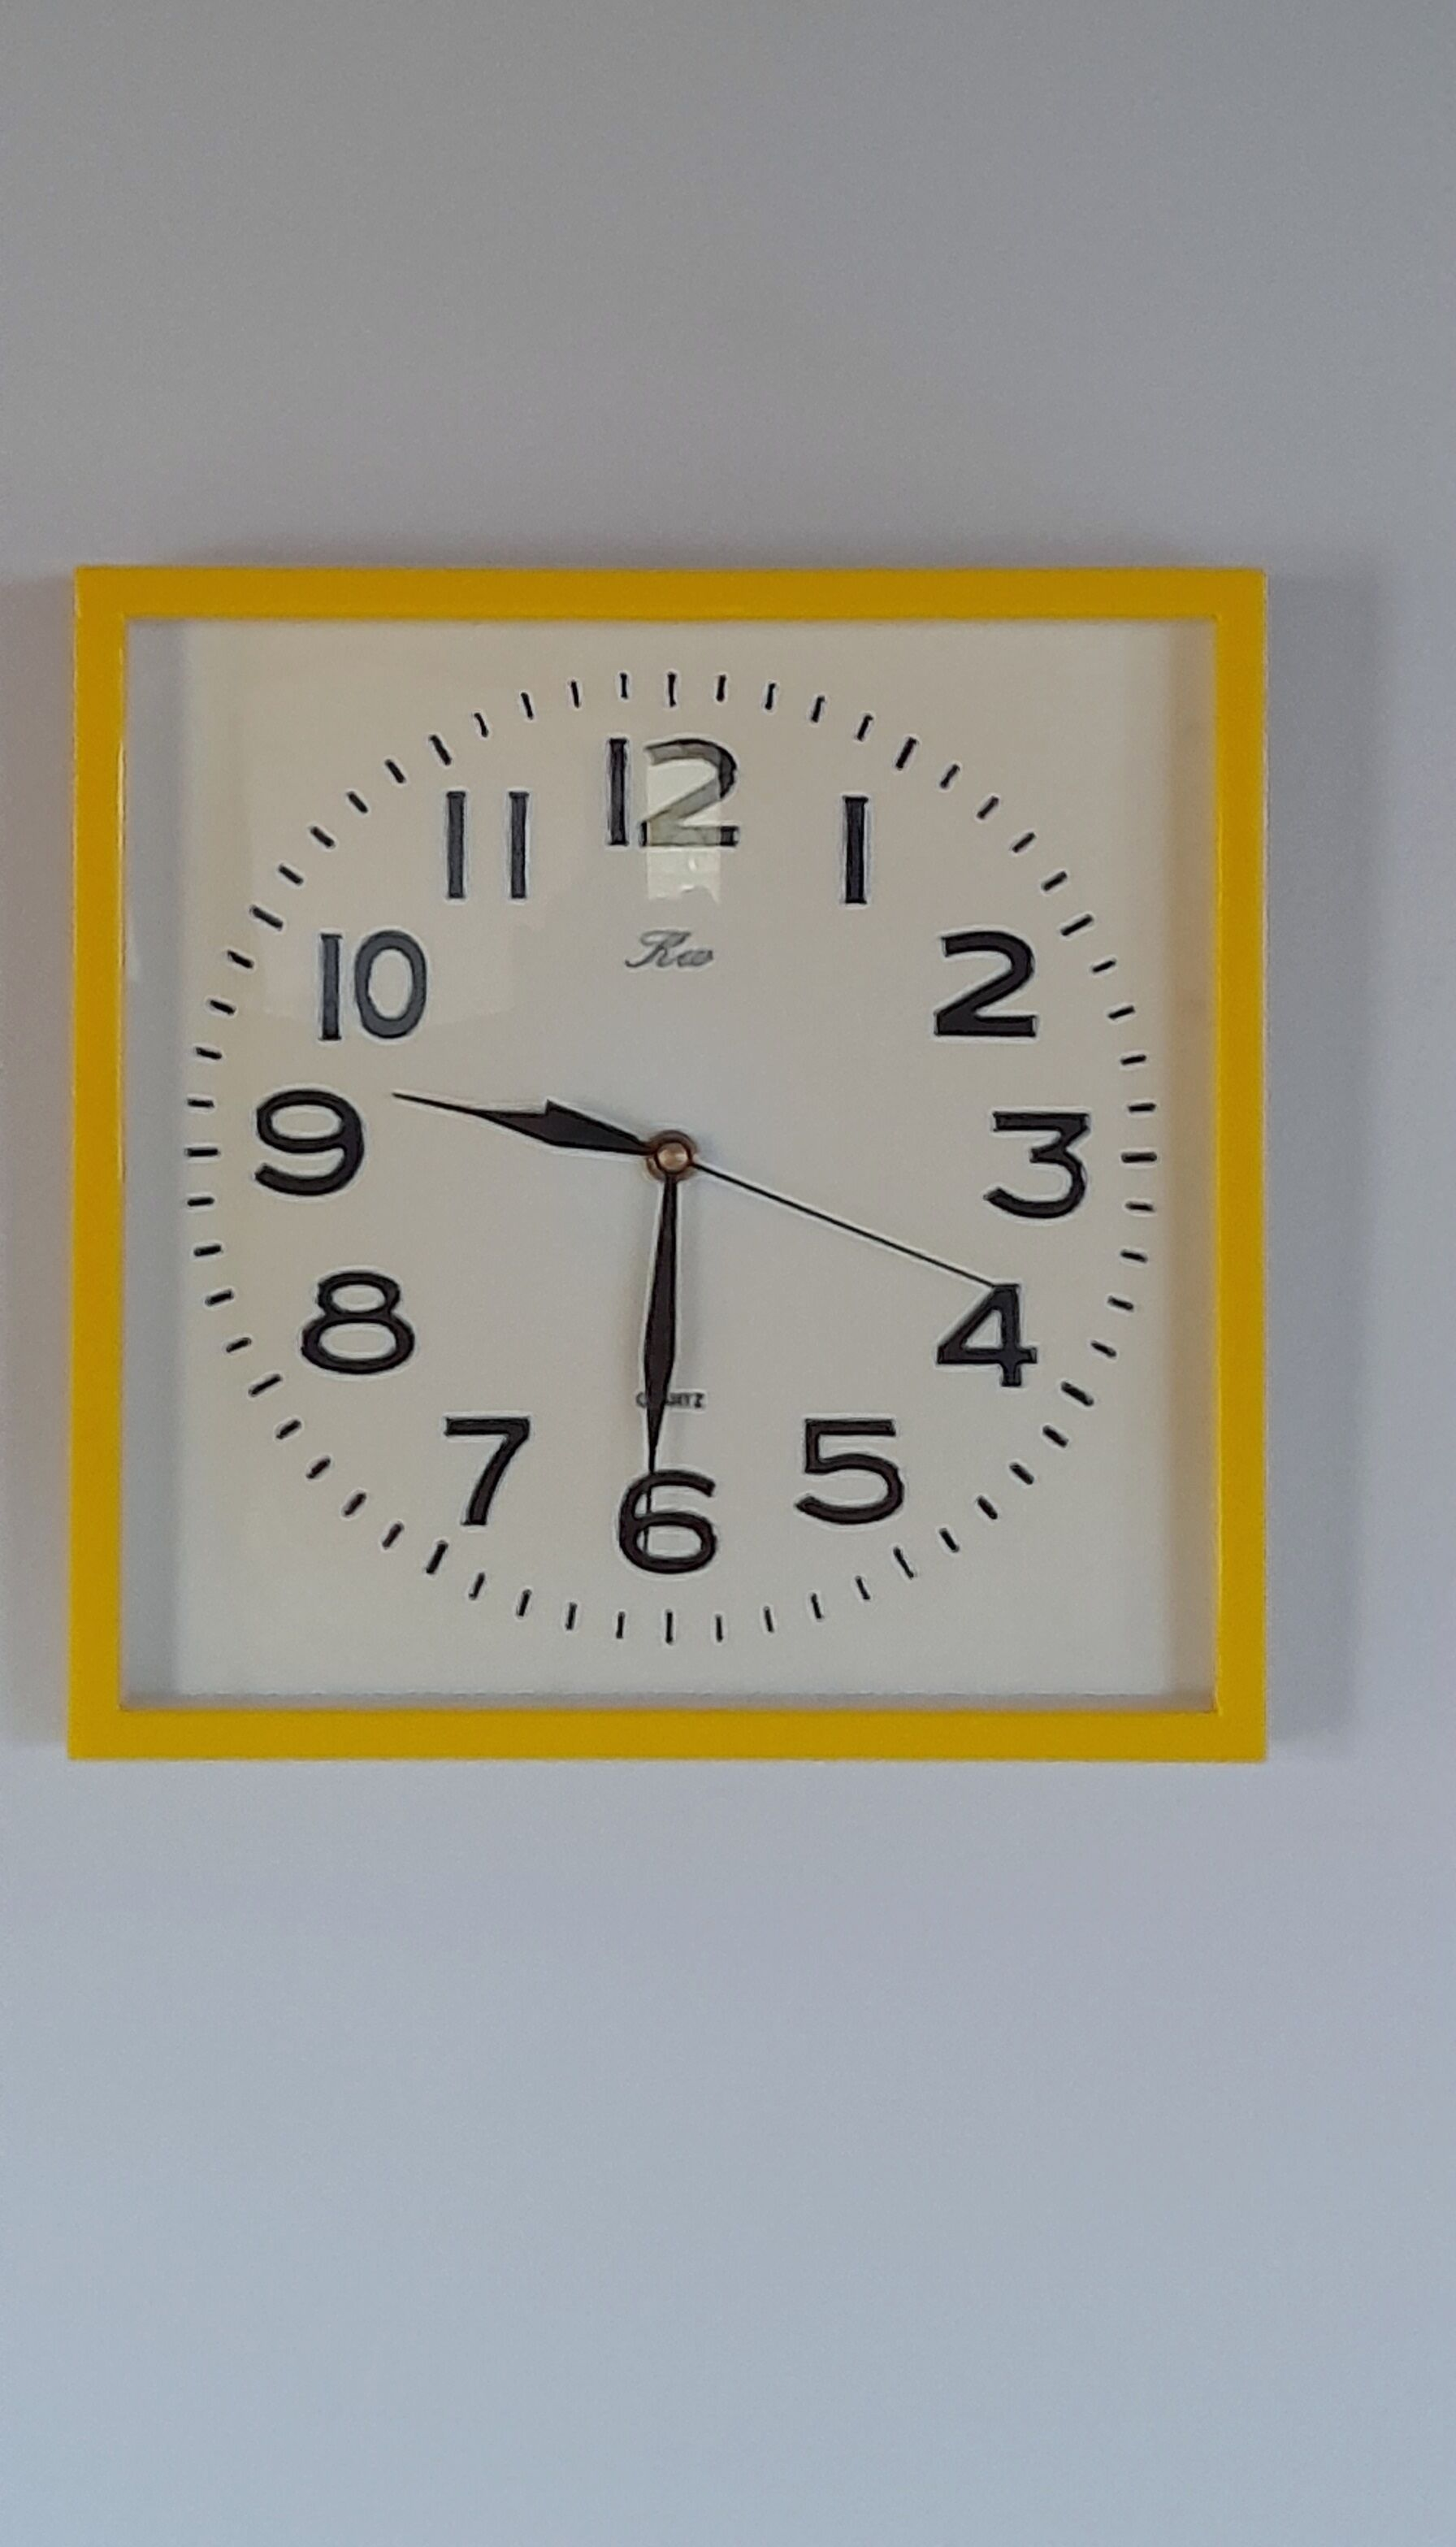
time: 9:30
